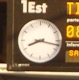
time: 8:17
